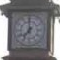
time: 6:59
